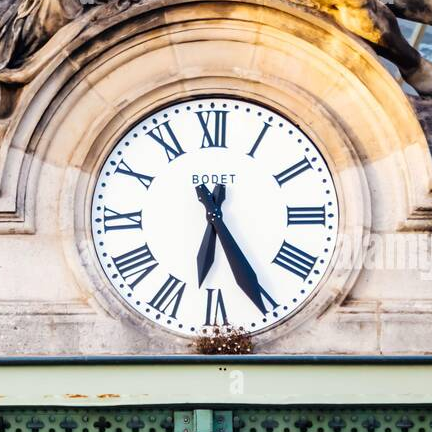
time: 6:25
